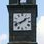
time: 1:41
